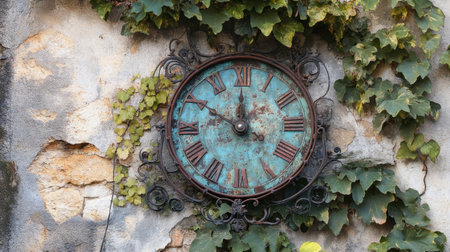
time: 11:49
